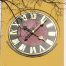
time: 10:07
